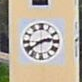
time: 2:39
